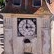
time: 2:59
